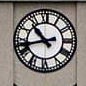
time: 10:42
